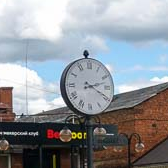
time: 2:19
